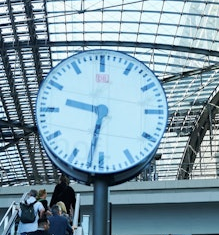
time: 9:32
